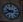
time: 9:41
